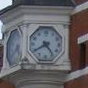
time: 4:40
